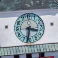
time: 3:32
